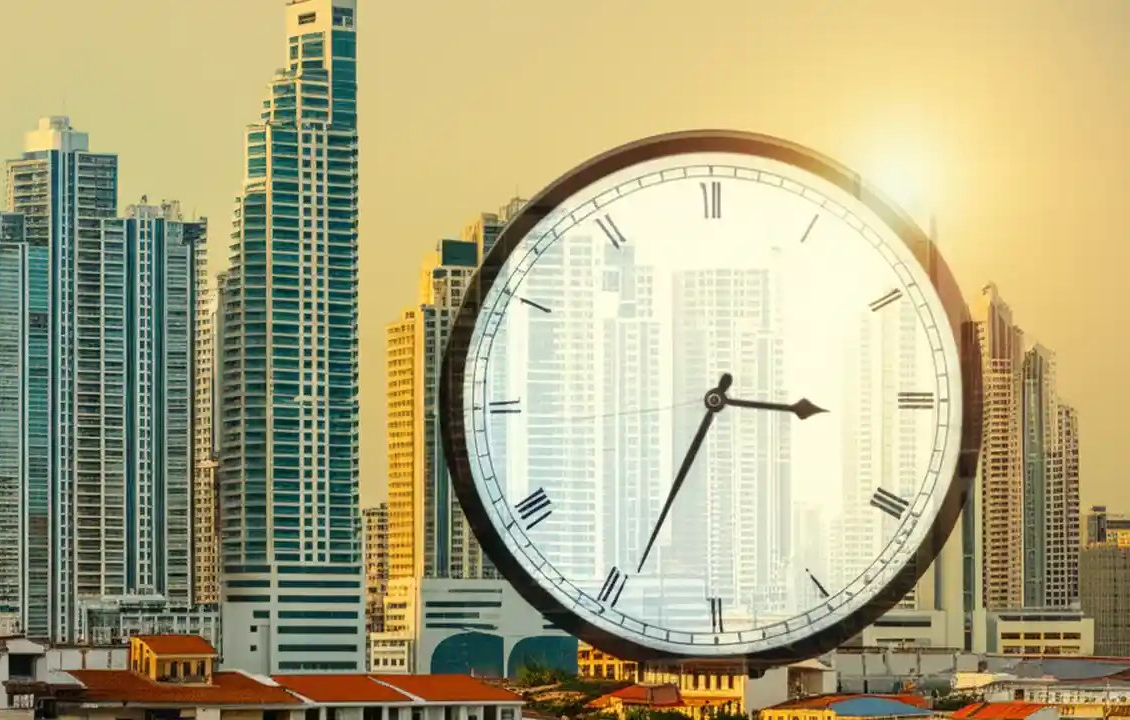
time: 3:34
